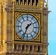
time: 1:33
